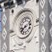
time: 7:37
